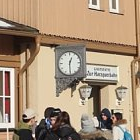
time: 12:29
